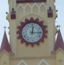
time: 12:15
